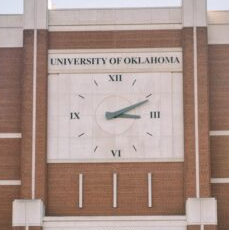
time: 3:11
